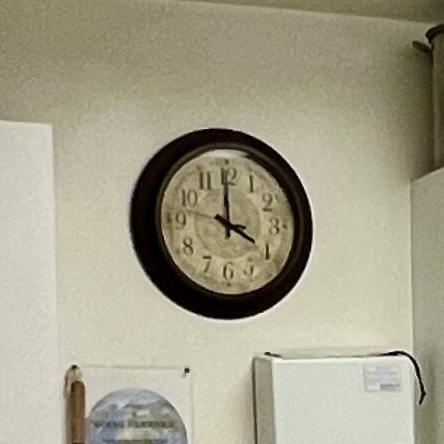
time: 3:59
